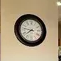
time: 7:46
